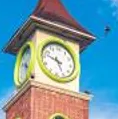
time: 9:25
